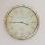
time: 3:44
